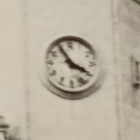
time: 3:54
